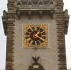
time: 1:20
